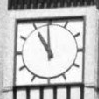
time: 10:59
